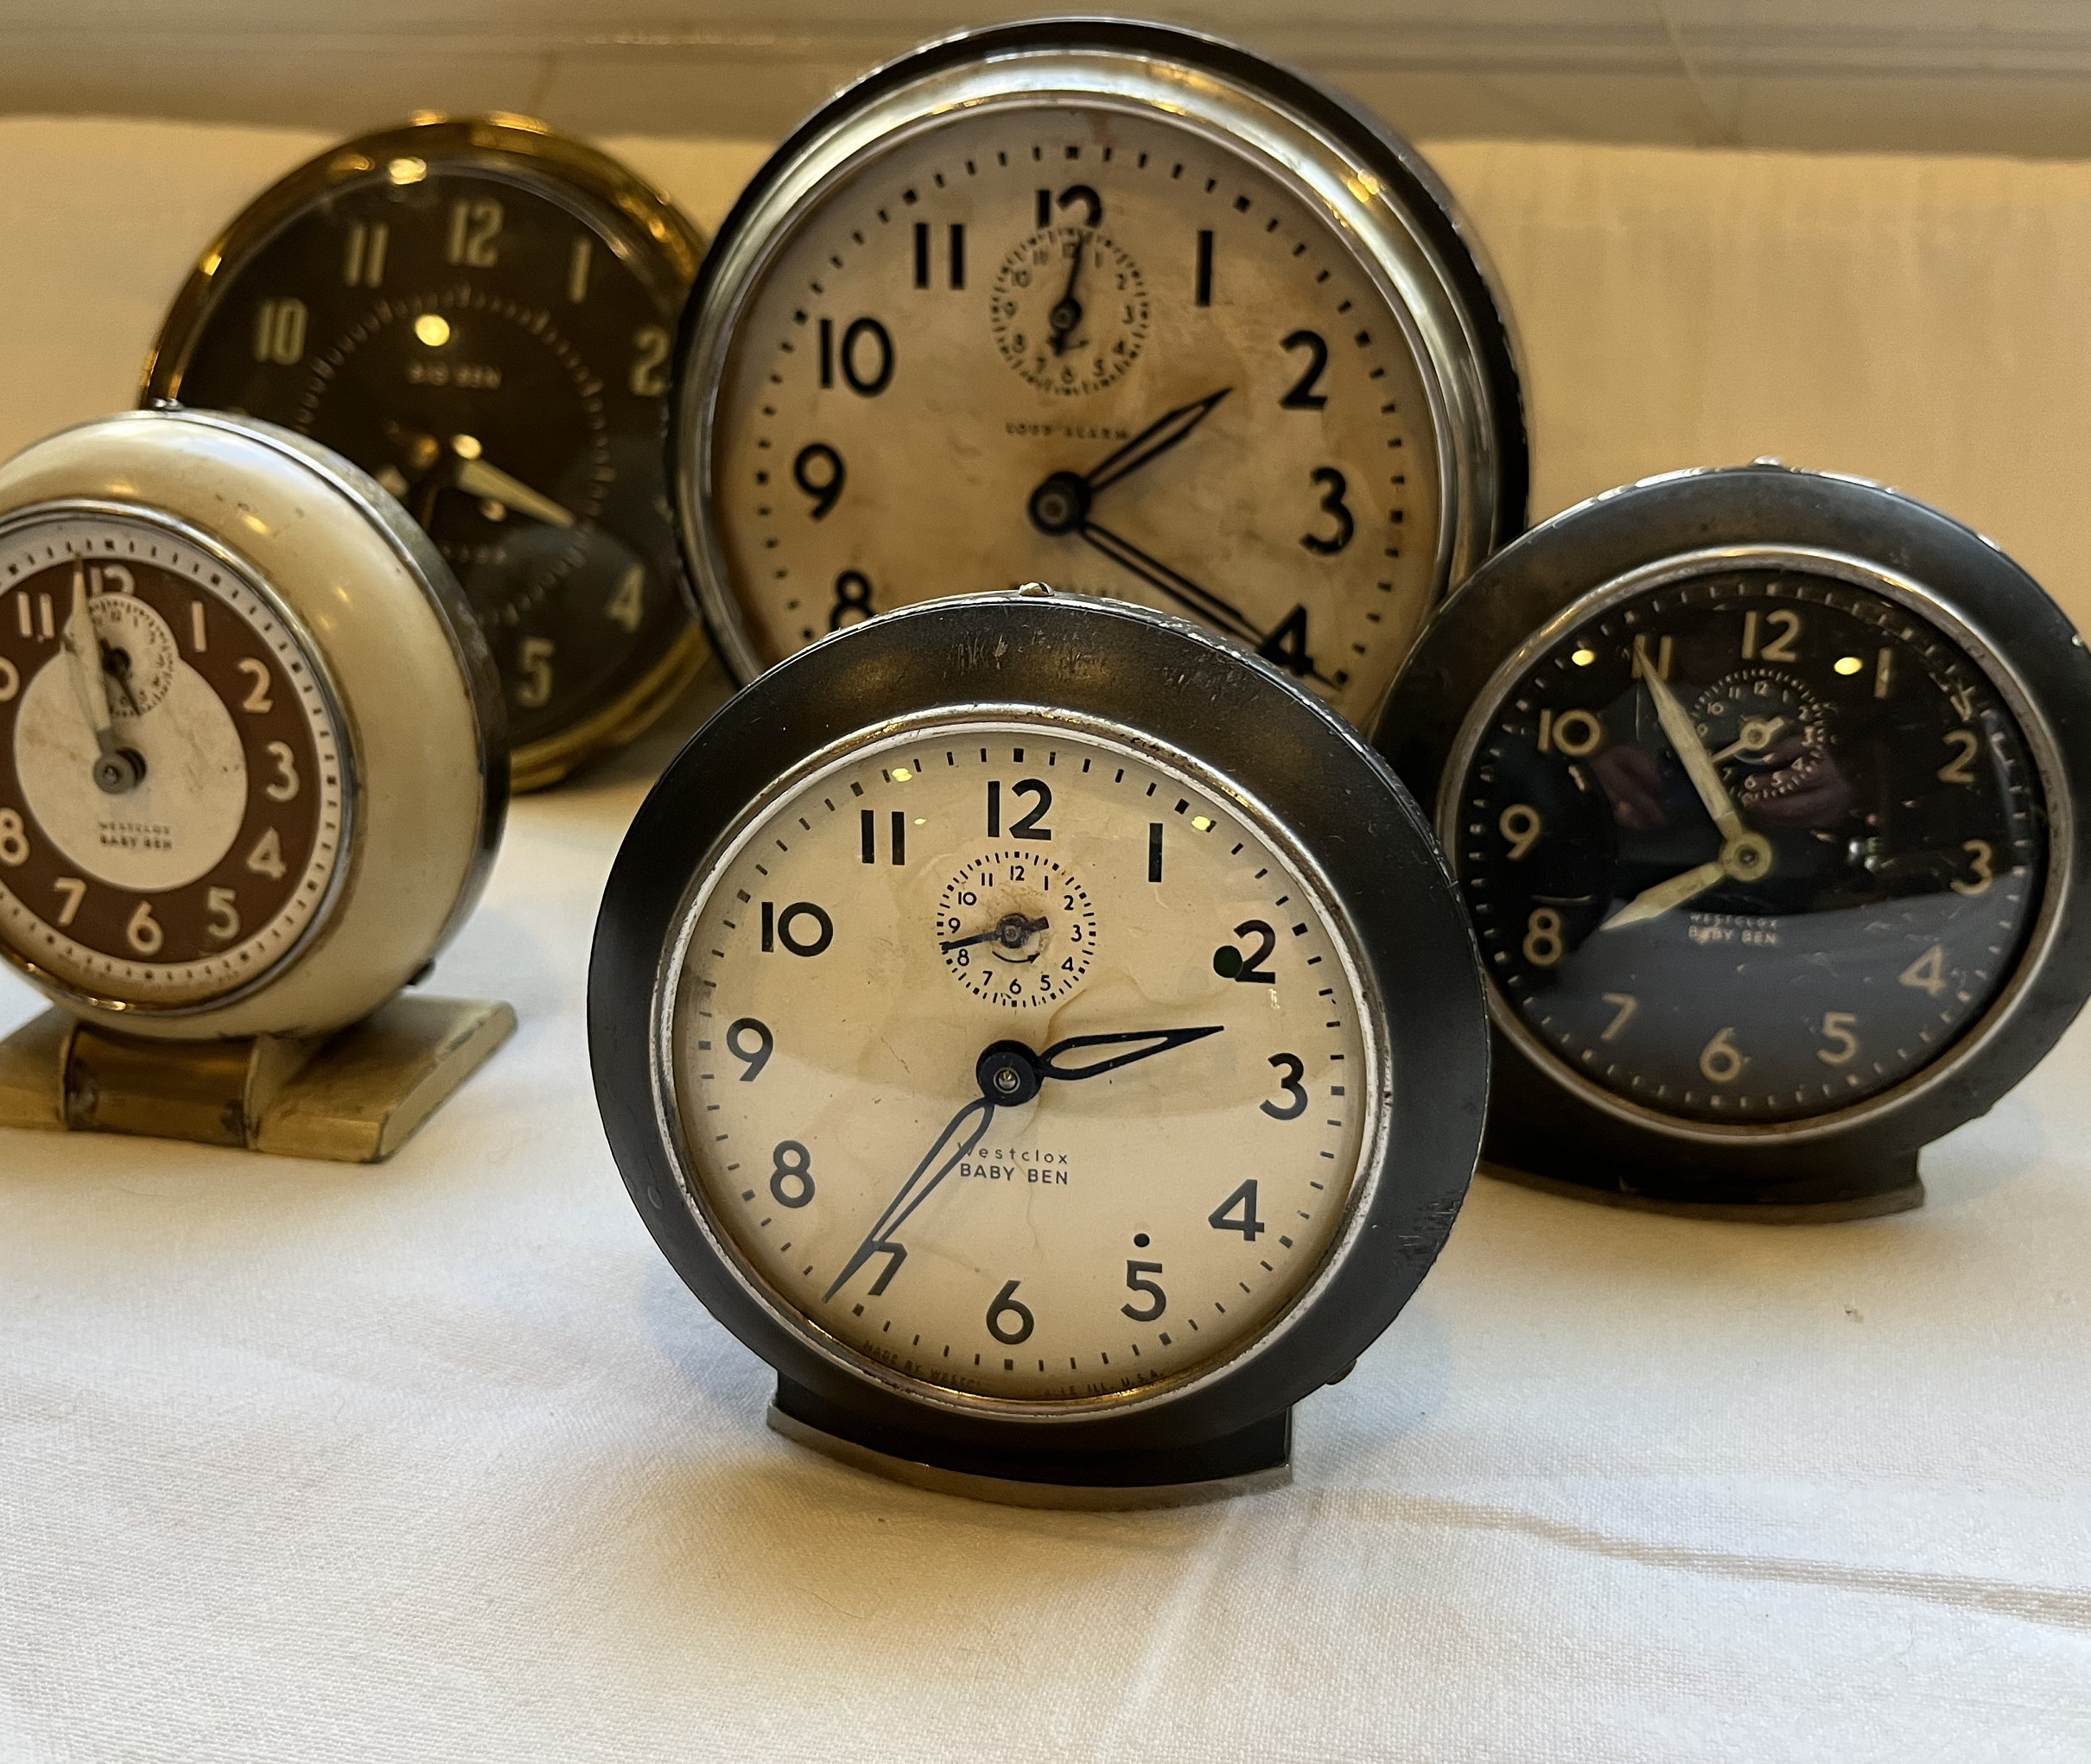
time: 2:35
